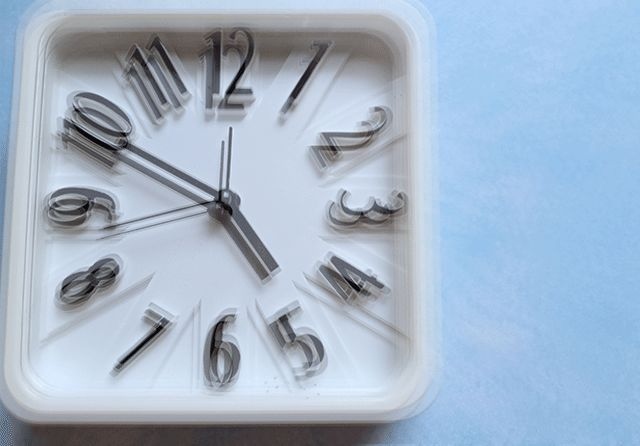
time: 4:49
